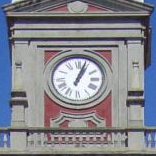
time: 1:03
